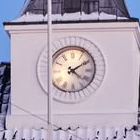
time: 4:09
